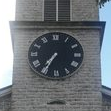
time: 7:35
